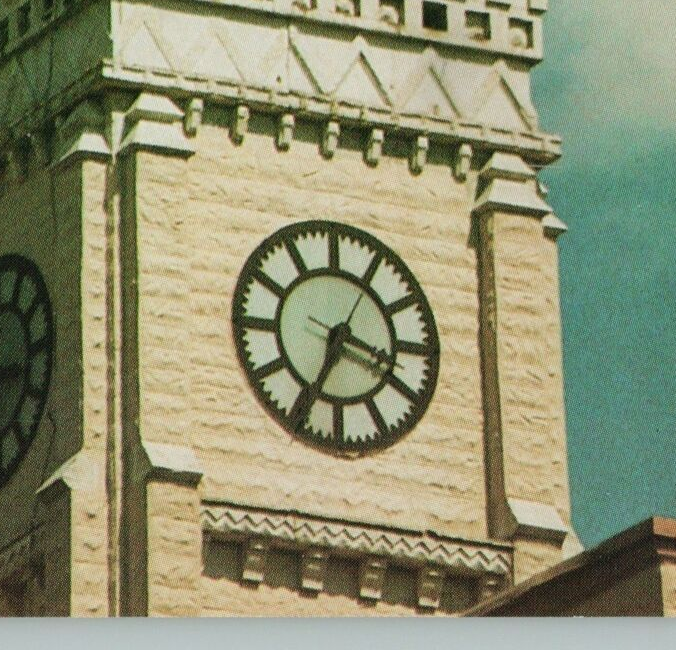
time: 3:34
